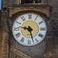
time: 9:27
